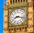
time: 8:17
